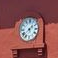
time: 1:37
